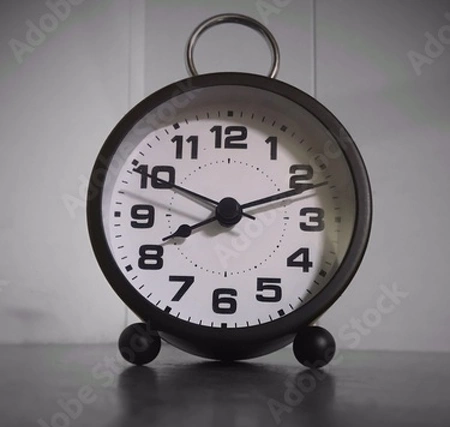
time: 8:11
